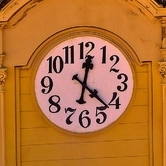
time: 12:22
